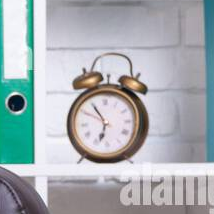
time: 6:54
